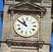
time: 10:50
